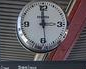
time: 2:59
